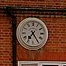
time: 7:24
